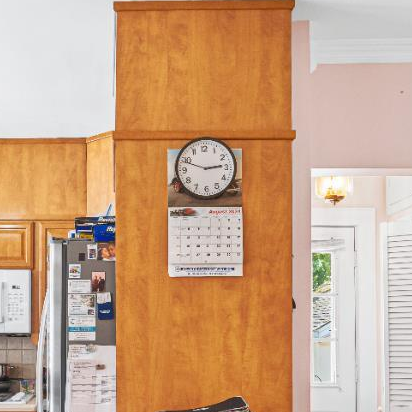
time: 2:48
